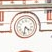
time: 4:31
